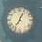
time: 7:04
